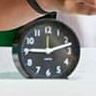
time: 9:12
